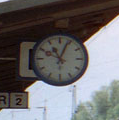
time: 11:03
